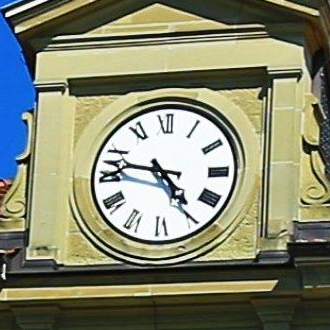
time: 4:47
